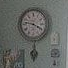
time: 3:46
